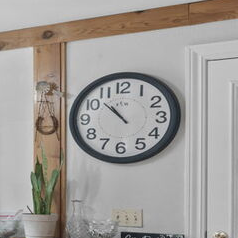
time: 10:52
